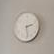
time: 2:28
